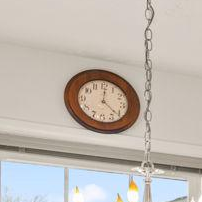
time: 12:21
